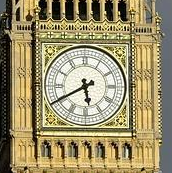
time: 5:40
